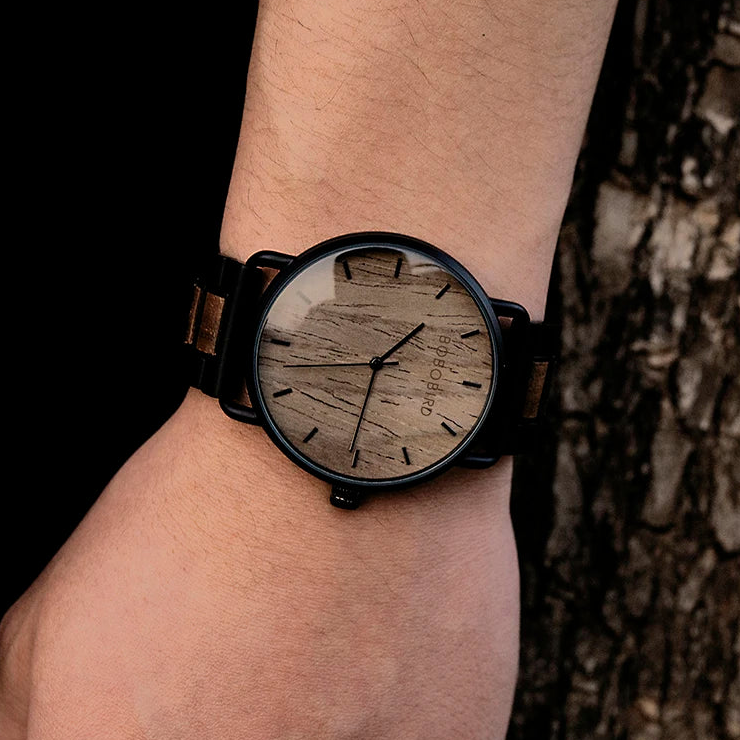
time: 1:30
